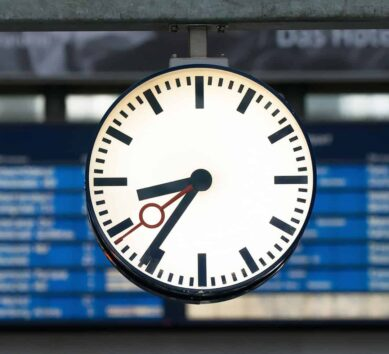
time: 8:36
